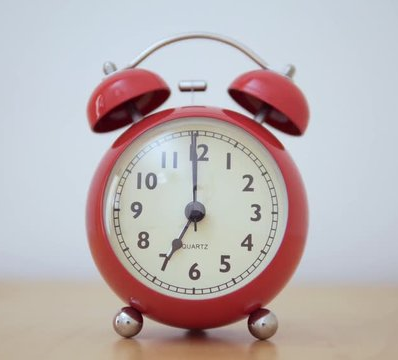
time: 6:59
